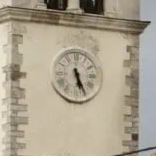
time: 5:26
